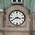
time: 3:40
